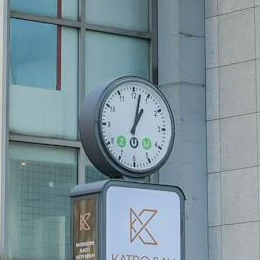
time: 1:02
